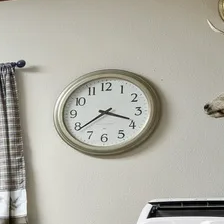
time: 3:39
